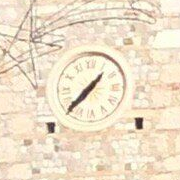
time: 7:37
